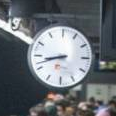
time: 8:42
